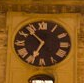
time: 10:34
